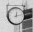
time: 12:12
